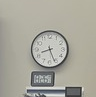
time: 8:26
